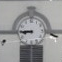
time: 8:45
